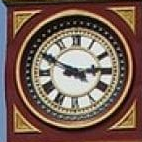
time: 2:49
